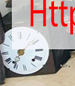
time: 7:08
